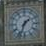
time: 1:33
